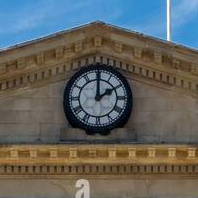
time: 2:00
